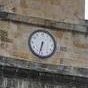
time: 6:32
